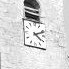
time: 2:21
